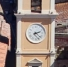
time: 2:21
